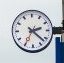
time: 2:22
